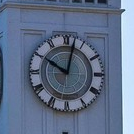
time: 10:02
